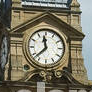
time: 11:37
